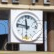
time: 11:46
